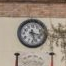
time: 3:27
